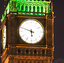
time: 5:48
